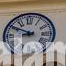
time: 8:49
